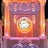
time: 8:12
